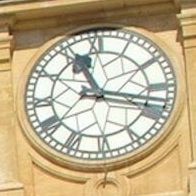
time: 11:17
